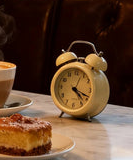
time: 4:18
